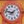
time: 1:47
